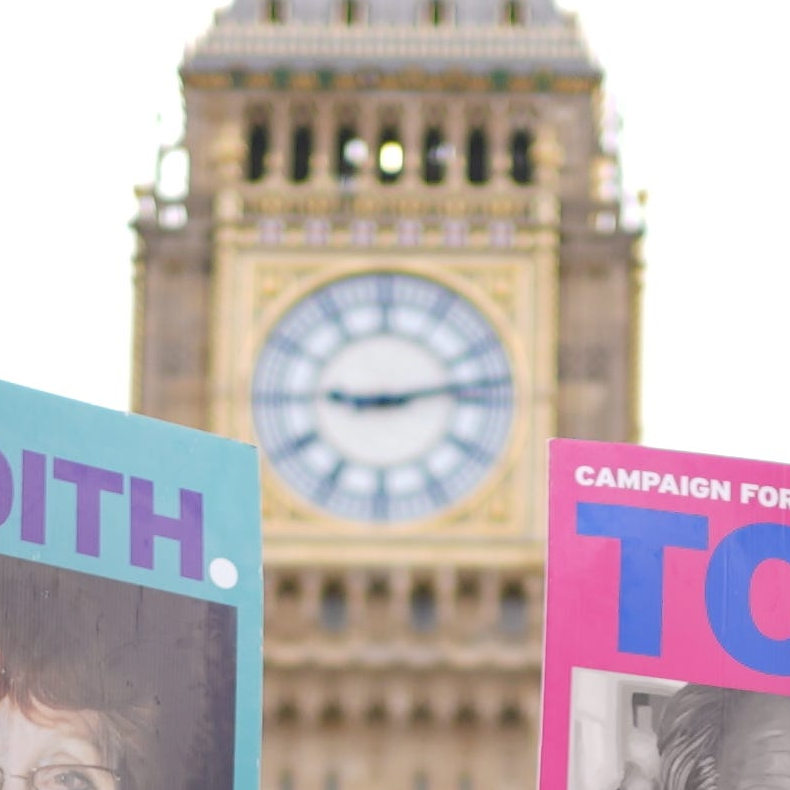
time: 9:13
